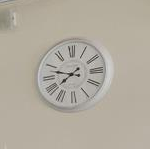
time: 7:47
